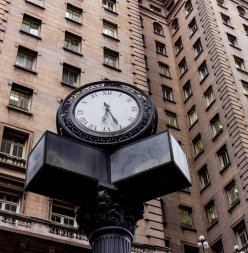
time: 6:25
